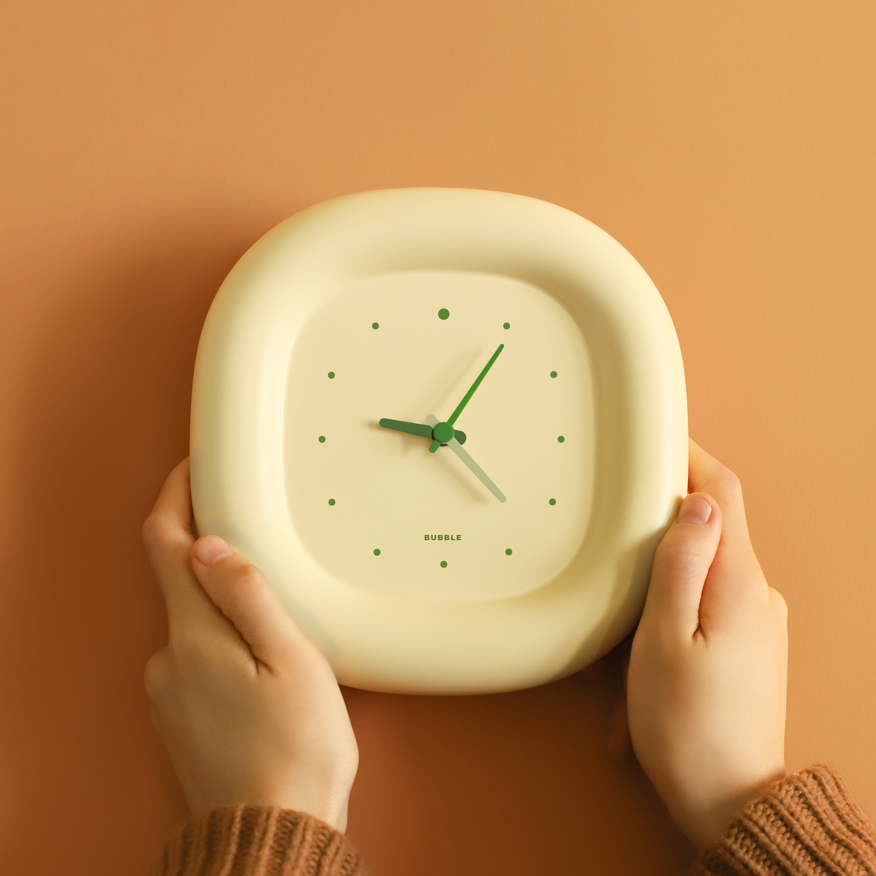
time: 9:05
